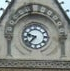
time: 9:37
